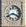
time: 3:40
